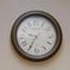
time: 9:34
